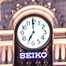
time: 6:59
